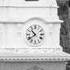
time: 10:39
